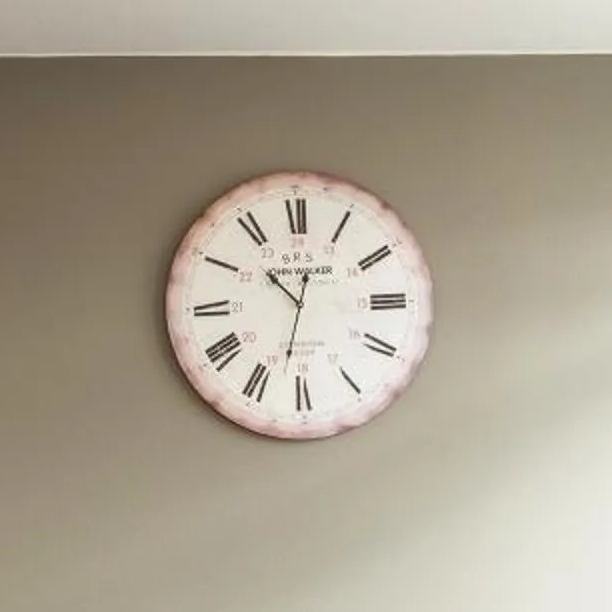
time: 10:32
